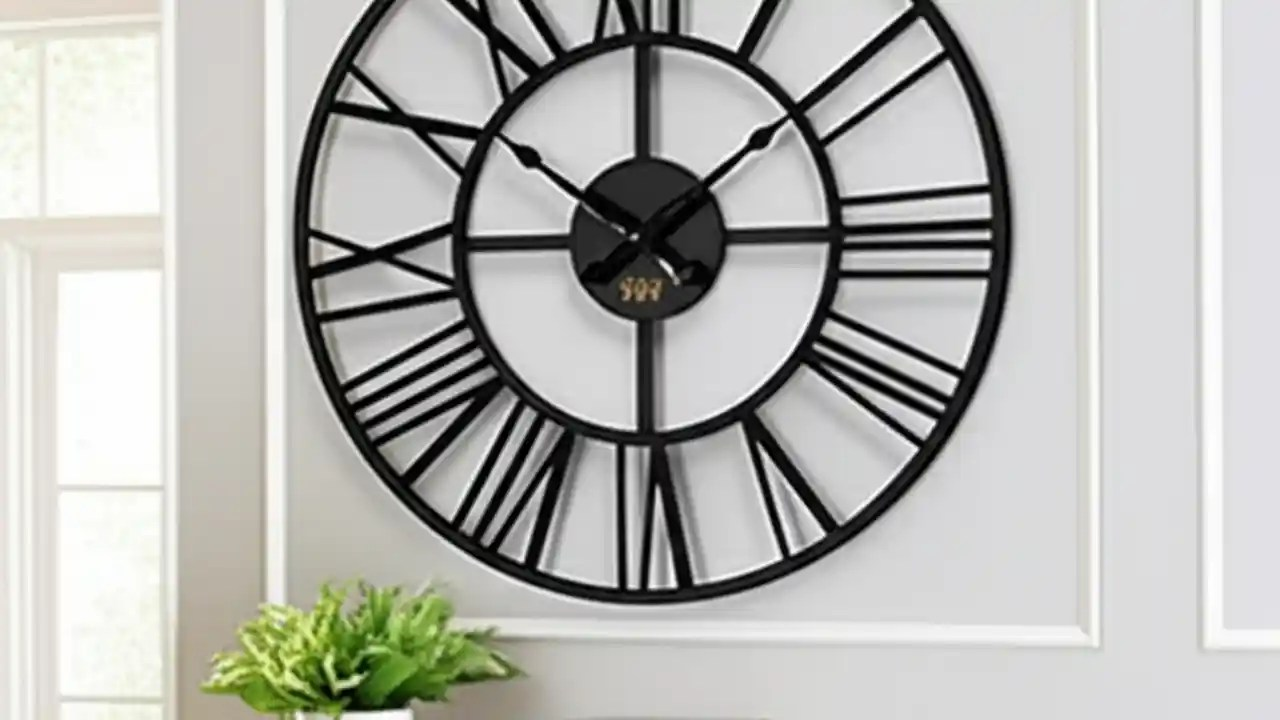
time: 10:14
